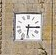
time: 6:15
